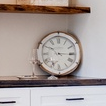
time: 10:15
